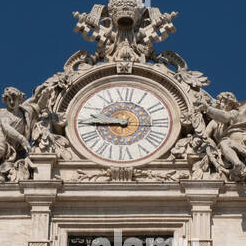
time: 8:45
